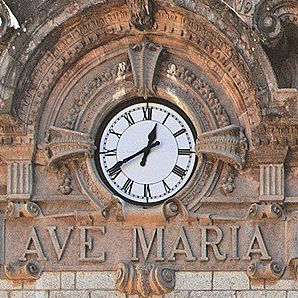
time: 12:40
